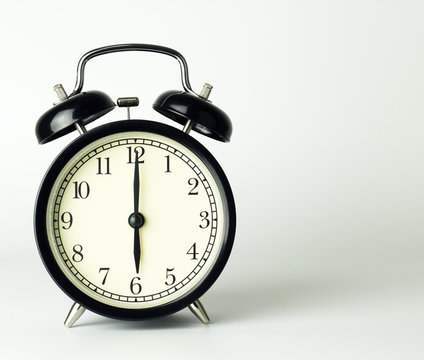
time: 6:00
